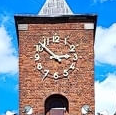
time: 2:52
